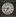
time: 6:46
